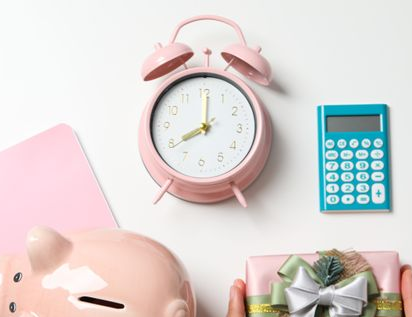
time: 8:00
